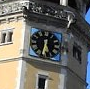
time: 12:32
